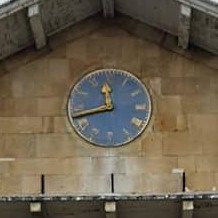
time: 11:42
